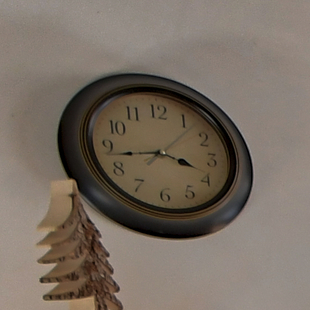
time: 3:43
